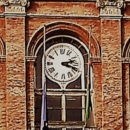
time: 2:18
